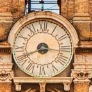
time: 8:16
